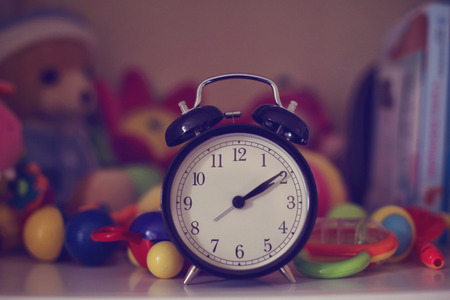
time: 2:09
